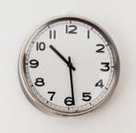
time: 10:28
